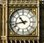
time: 10:42
